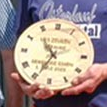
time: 10:34
